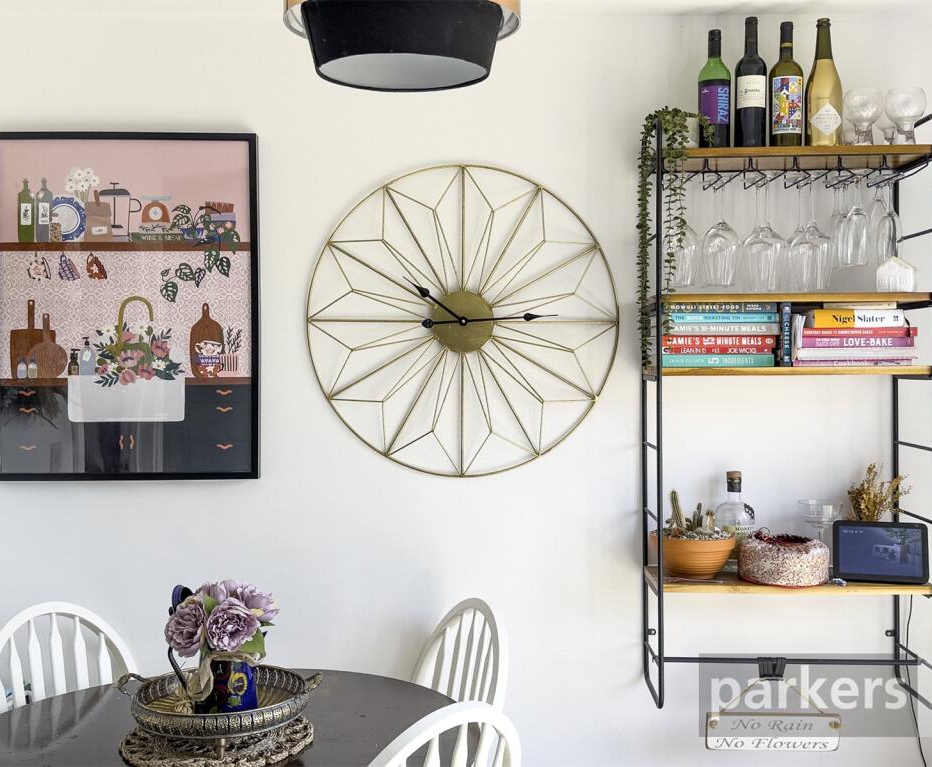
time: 10:14
